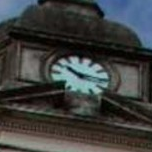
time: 10:17
